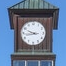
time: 9:43
